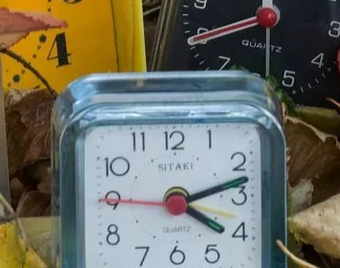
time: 4:12
